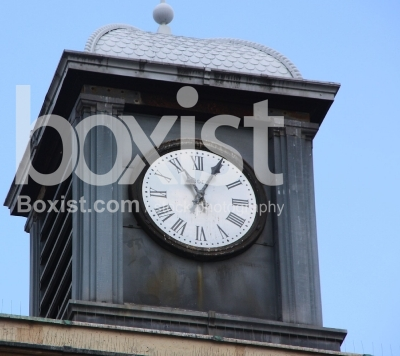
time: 11:04
